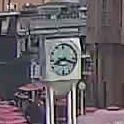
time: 8:17
